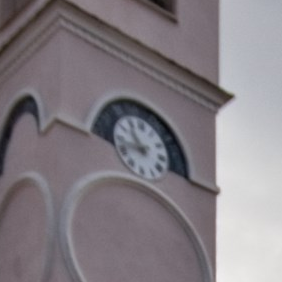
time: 10:43
